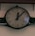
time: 12:06
